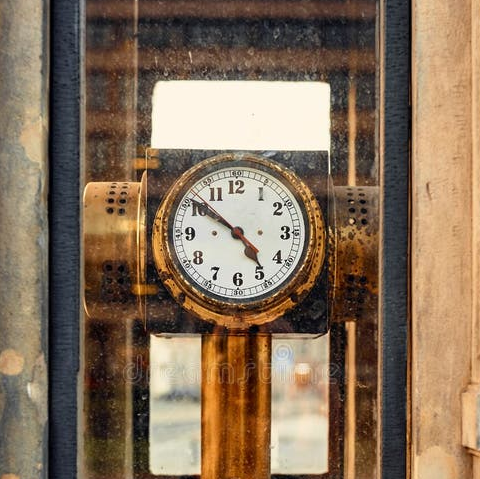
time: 4:50
